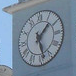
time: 1:28
